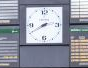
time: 2:40
